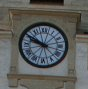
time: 9:50
